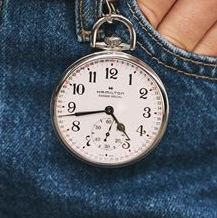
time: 4:43
